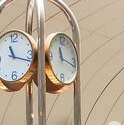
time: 11:17
